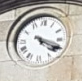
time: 4:18
